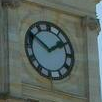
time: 1:50
